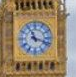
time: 11:18
